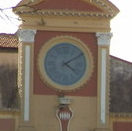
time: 4:09
